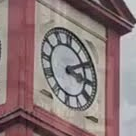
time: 3:09
